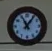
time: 11:06
